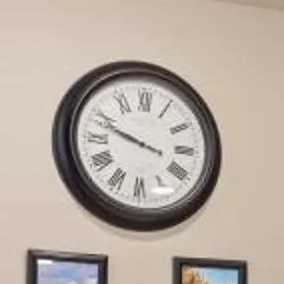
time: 9:48
